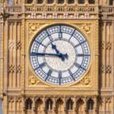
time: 10:45
